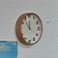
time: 11:53
